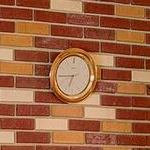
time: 6:44
